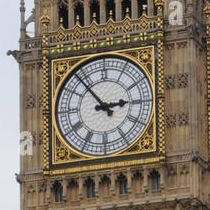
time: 2:53
